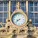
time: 8:38
